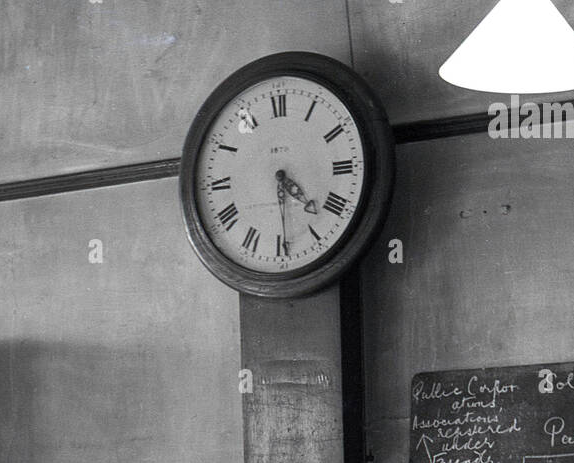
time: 4:29
